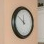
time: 11:51
